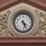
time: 4:26
